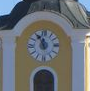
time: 11:55
